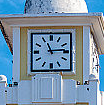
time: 11:13
